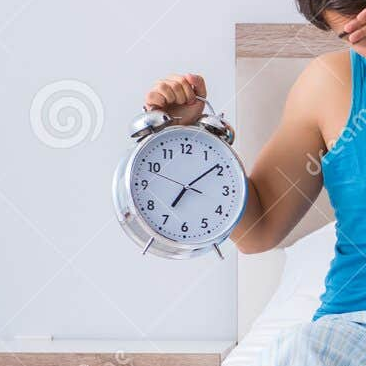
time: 7:08
